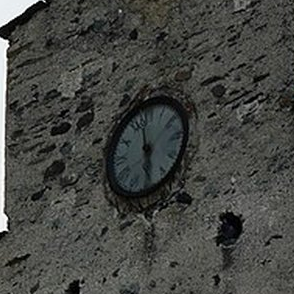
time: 5:58
